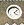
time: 4:07
